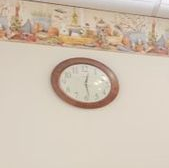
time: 12:28
